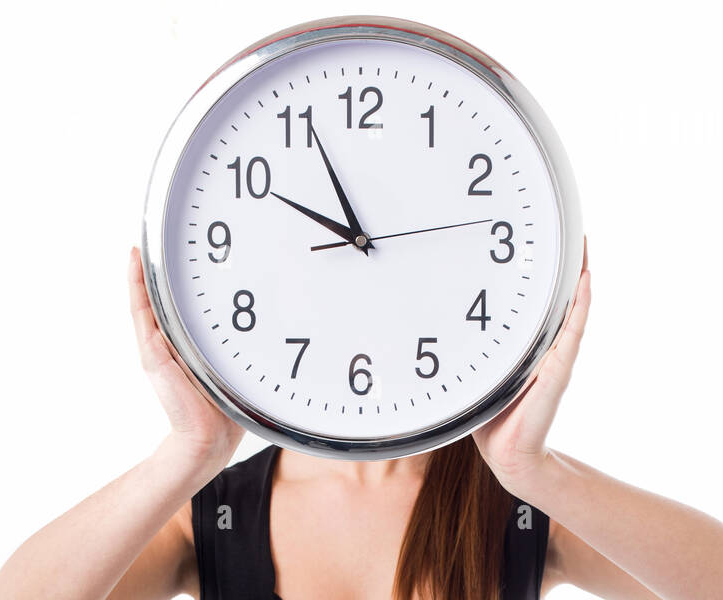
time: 9:56
